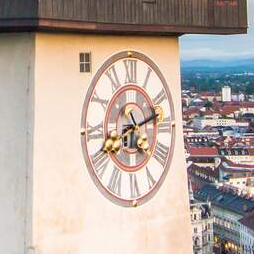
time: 8:12
